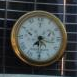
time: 7:30
